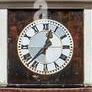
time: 12:37
